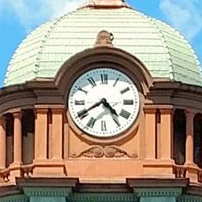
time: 4:40
